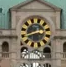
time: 2:40
